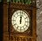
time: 12:02
